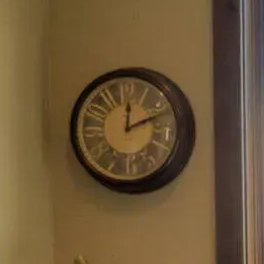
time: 12:11
